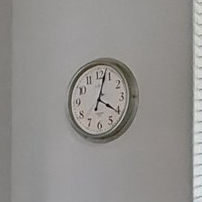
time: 4:02
